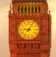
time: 9:05
